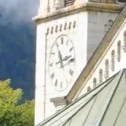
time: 11:13
